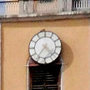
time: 4:35
